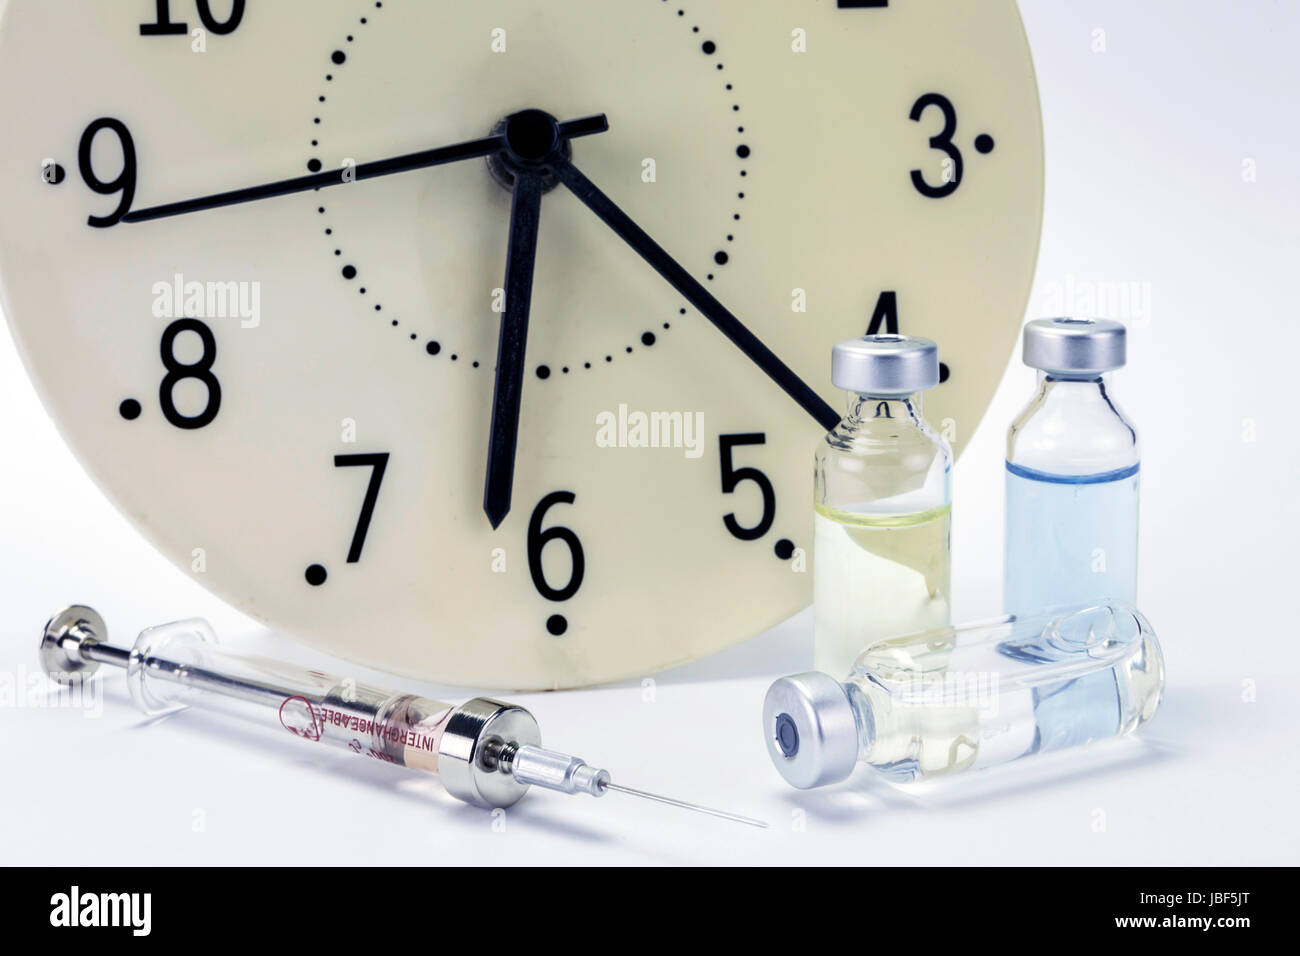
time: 6:22
